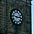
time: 2:46
